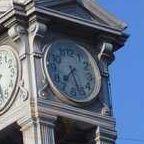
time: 7:27
